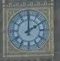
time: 2:00
